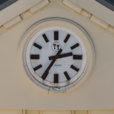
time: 2:35
